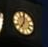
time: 7:00
